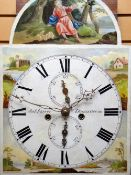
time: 11:30
